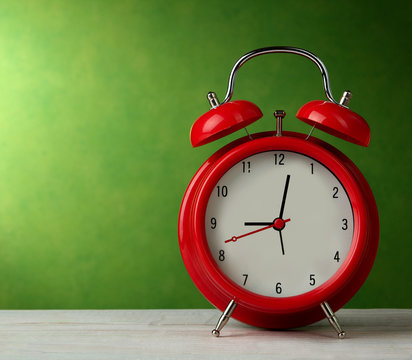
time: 9:01
